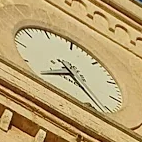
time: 8:27
